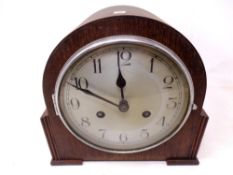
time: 11:49
